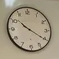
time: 10:20
